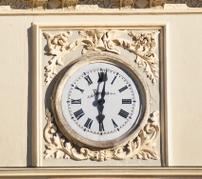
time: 6:01
